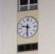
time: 9:31
